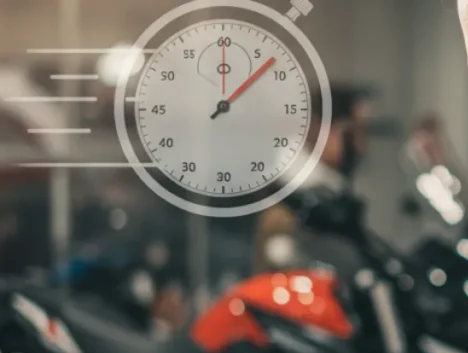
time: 12:07
